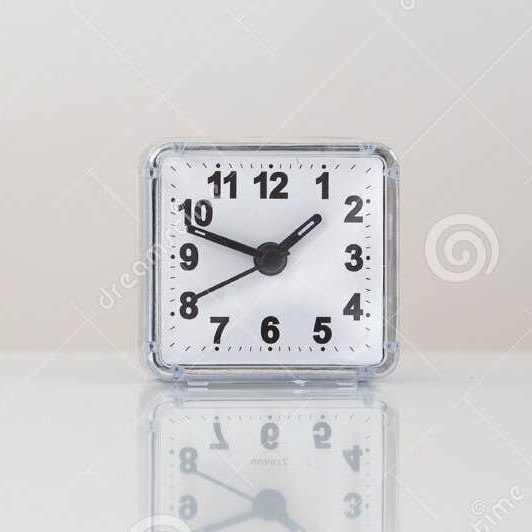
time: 1:48
